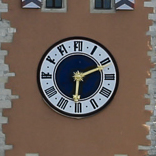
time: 6:10
